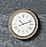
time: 10:11
